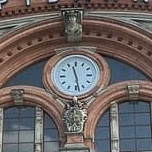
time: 11:28
